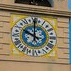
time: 9:59
